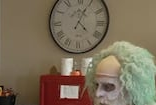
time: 4:04
